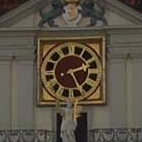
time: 2:25
